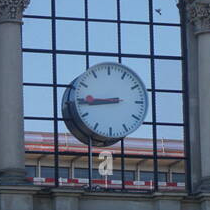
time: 8:45
